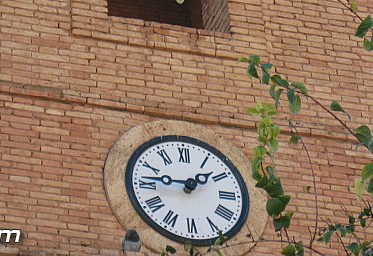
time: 1:46
